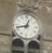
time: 12:42
